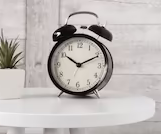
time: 10:11
